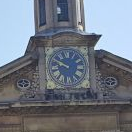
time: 9:50
